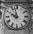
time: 9:57
